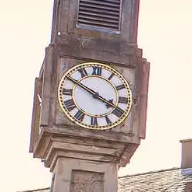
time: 3:49
